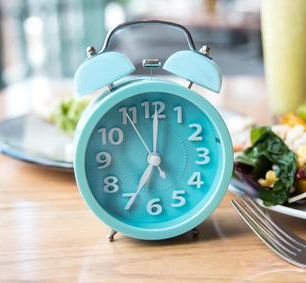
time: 7:00
